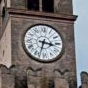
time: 3:32
